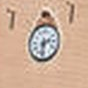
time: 2:31
